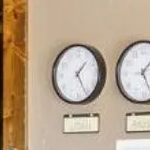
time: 1:24
